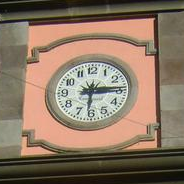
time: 6:14
